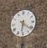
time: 6:21
